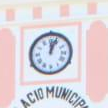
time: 12:03
